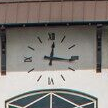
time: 12:16
